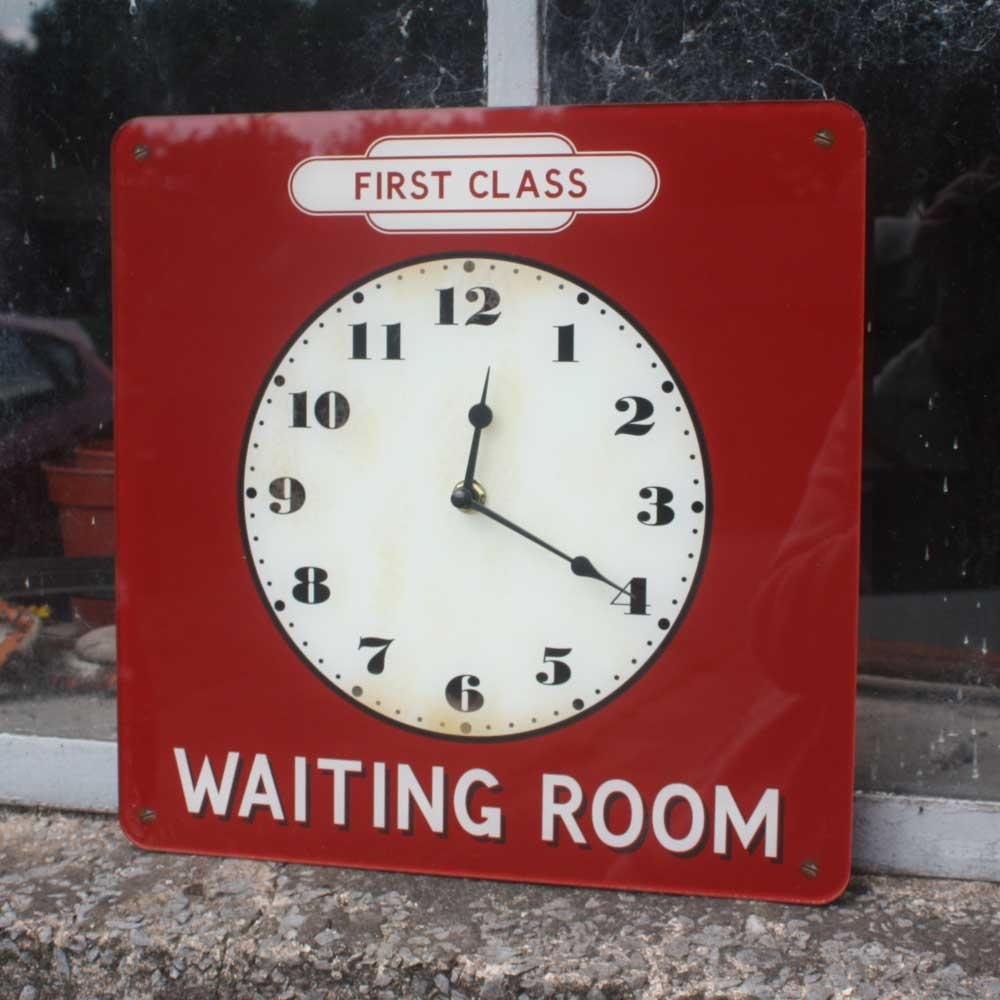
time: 12:19
